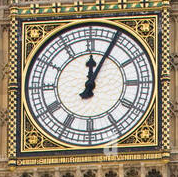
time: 12:04
